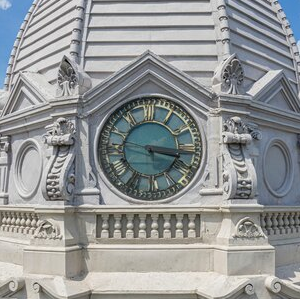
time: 3:18
